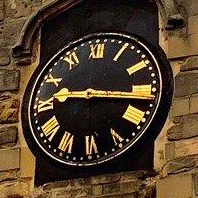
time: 9:16
